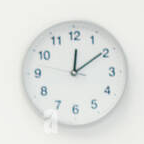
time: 12:09
